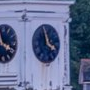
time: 3:58
